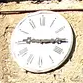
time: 9:15
